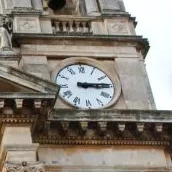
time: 3:14
